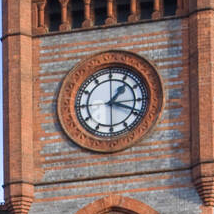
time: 1:18
